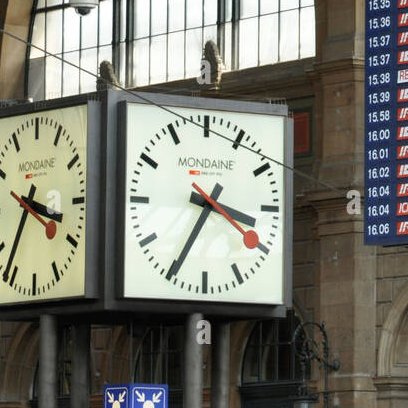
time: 3:34
